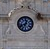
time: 12:41
